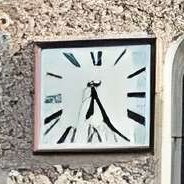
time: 6:25
